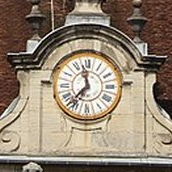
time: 11:36
